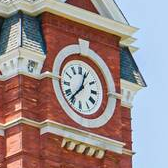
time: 12:36
